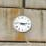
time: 2:46
